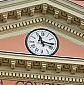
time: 11:16
